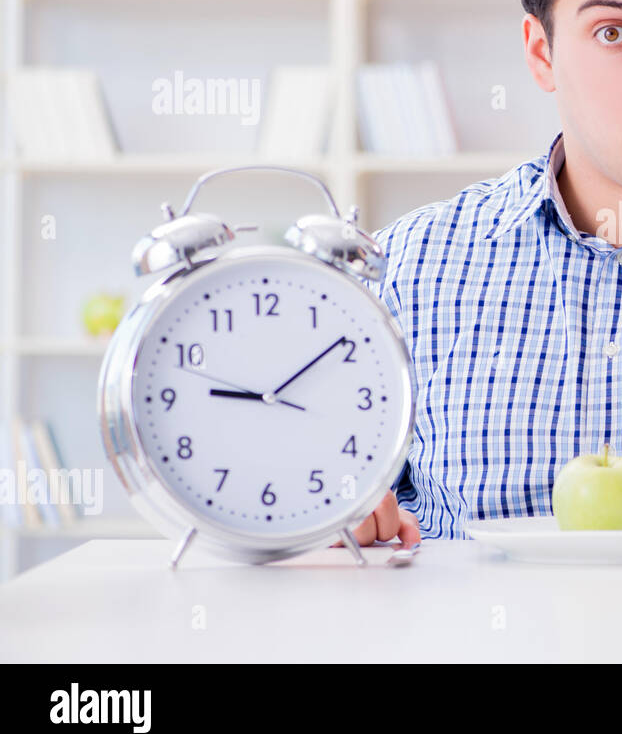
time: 9:09
